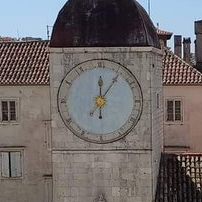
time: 12:05
